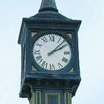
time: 2:07
